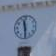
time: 11:29
